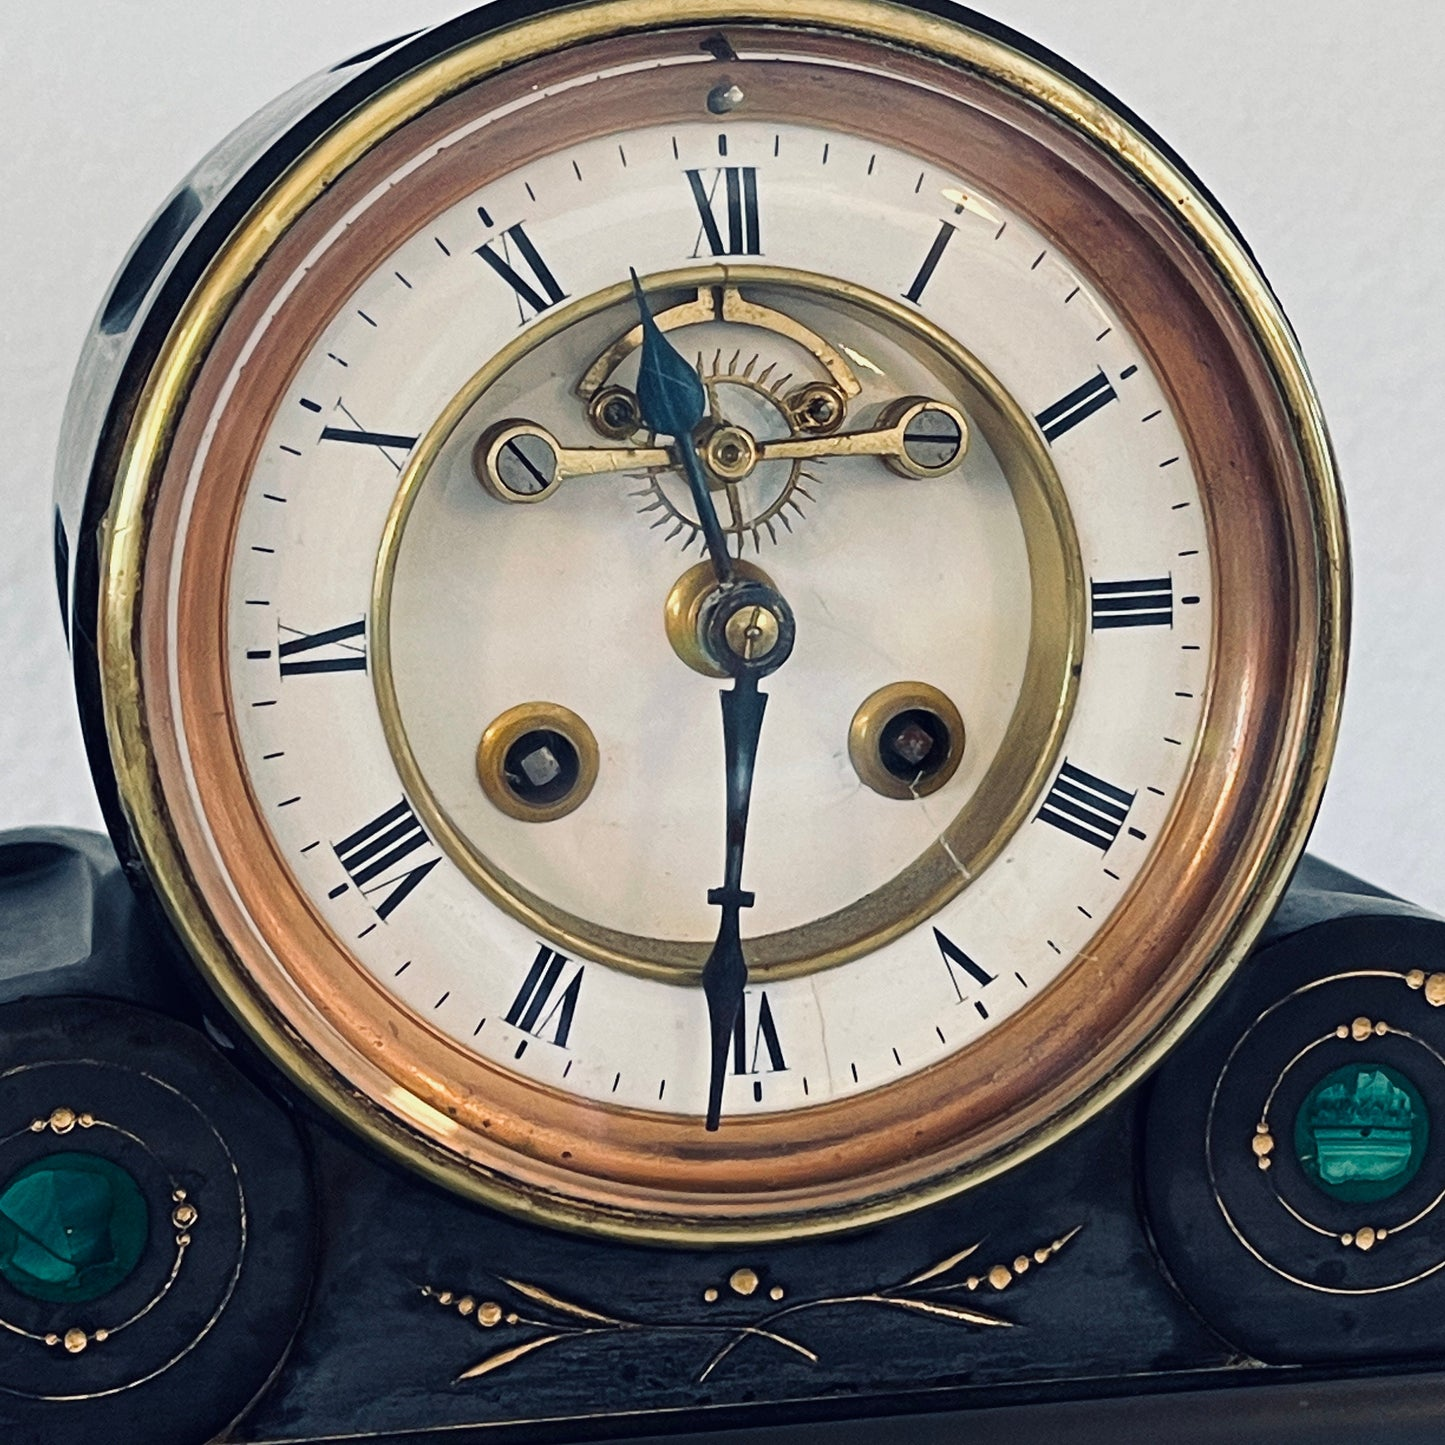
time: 11:30
